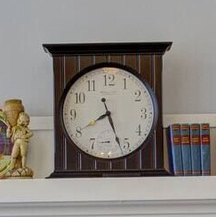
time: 8:26
